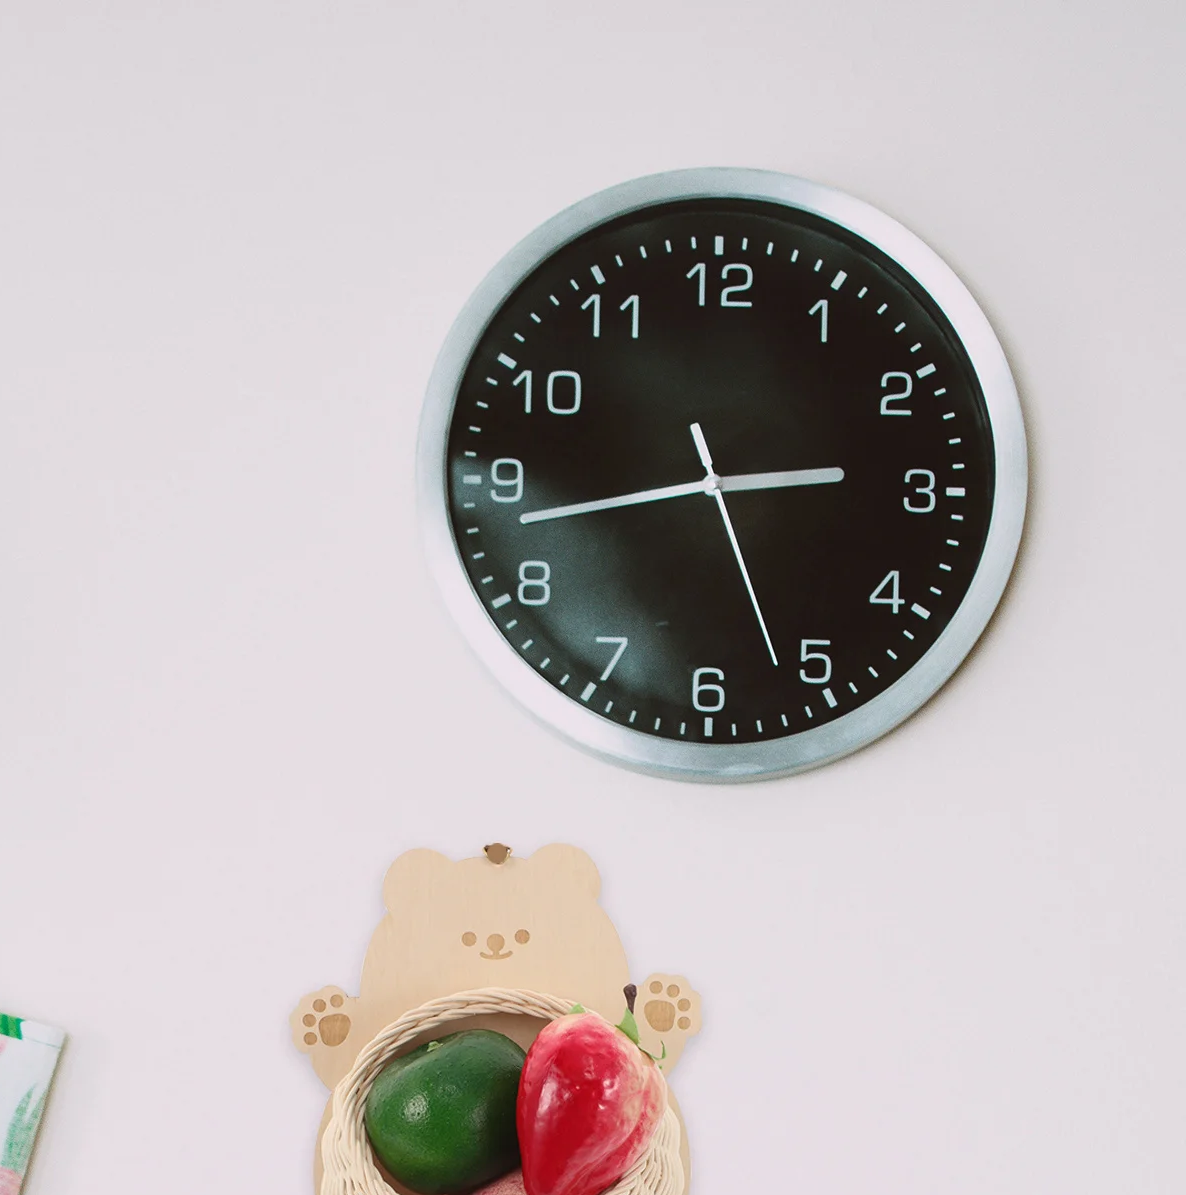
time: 2:43
